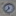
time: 11:37
